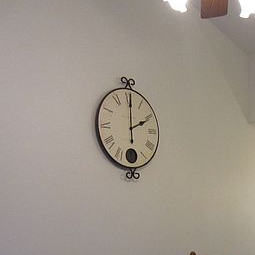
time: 2:00
